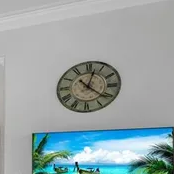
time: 12:21
